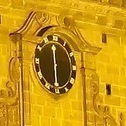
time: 5:59
